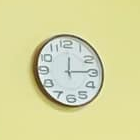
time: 12:14
